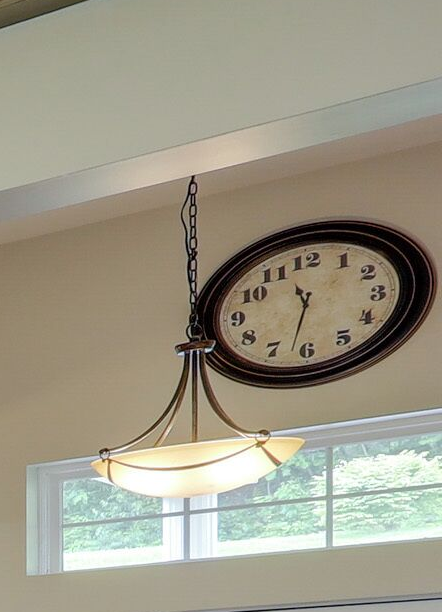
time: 11:32
